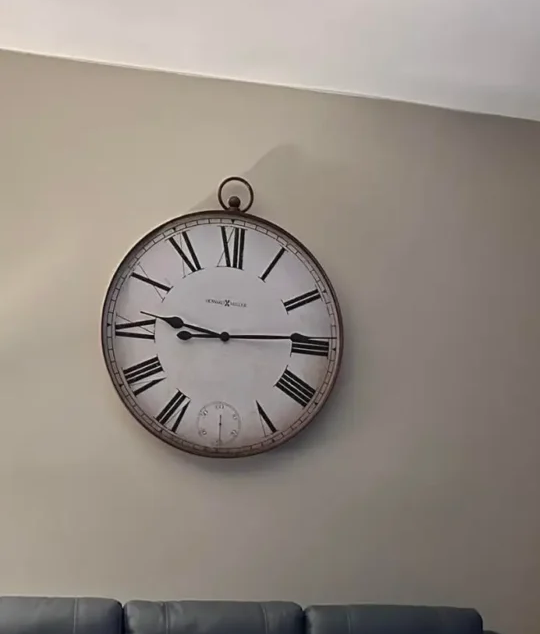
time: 9:13
